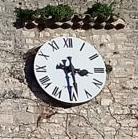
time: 3:28
